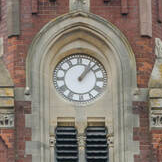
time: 1:07
